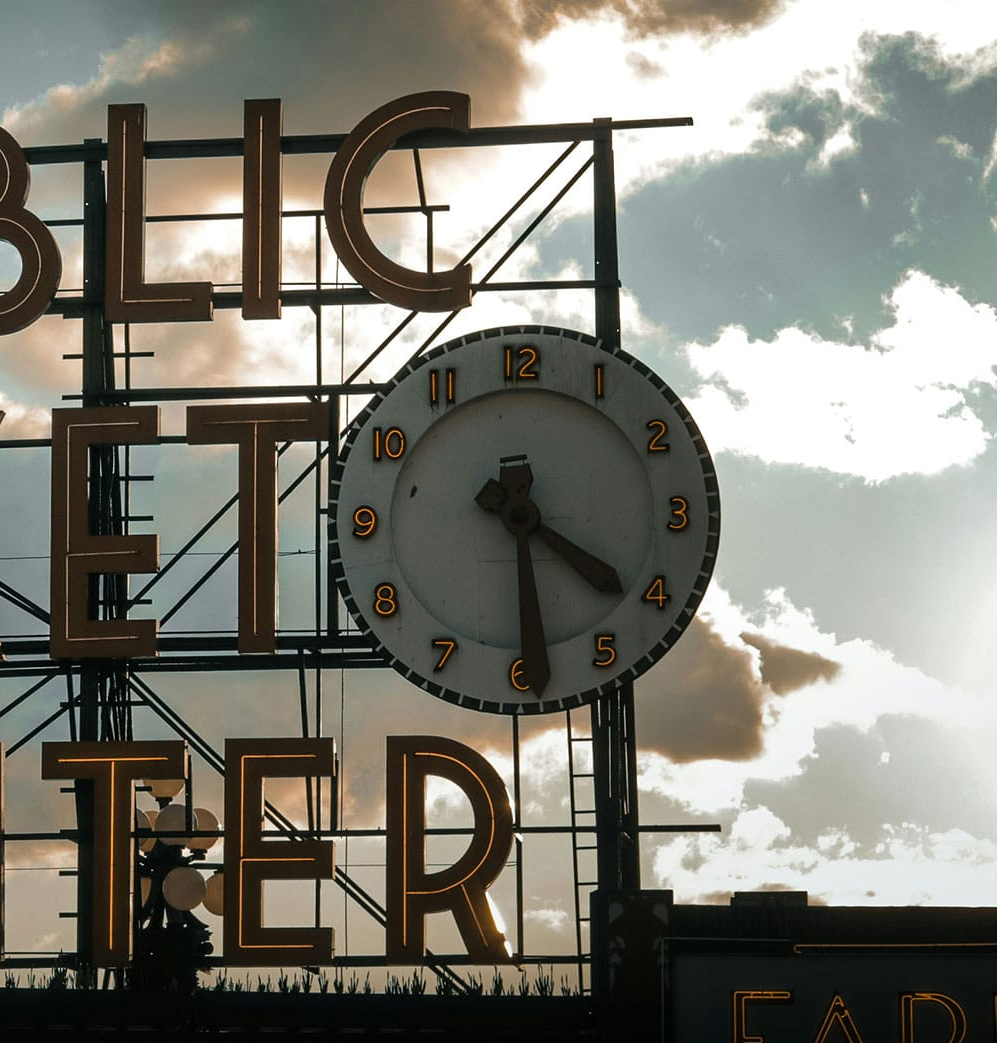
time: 4:29
